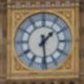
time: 1:29
